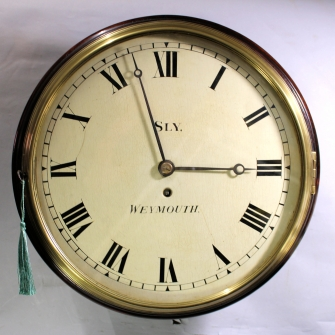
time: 2:57
